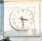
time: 3:28
